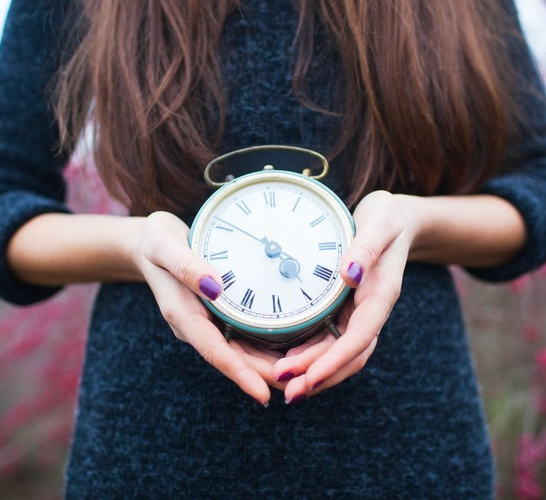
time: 4:50
